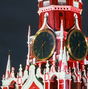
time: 7:29
